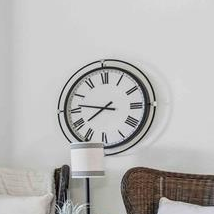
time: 7:46
